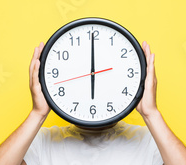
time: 5:59
